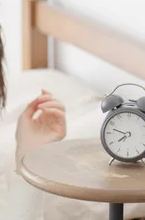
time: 7:47
